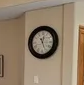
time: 12:26
